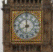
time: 7:59
